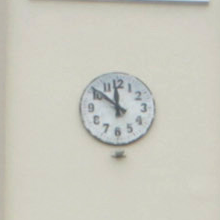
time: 11:51
